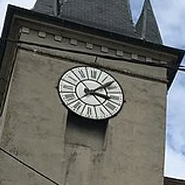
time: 3:07
